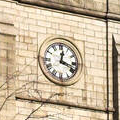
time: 12:17
